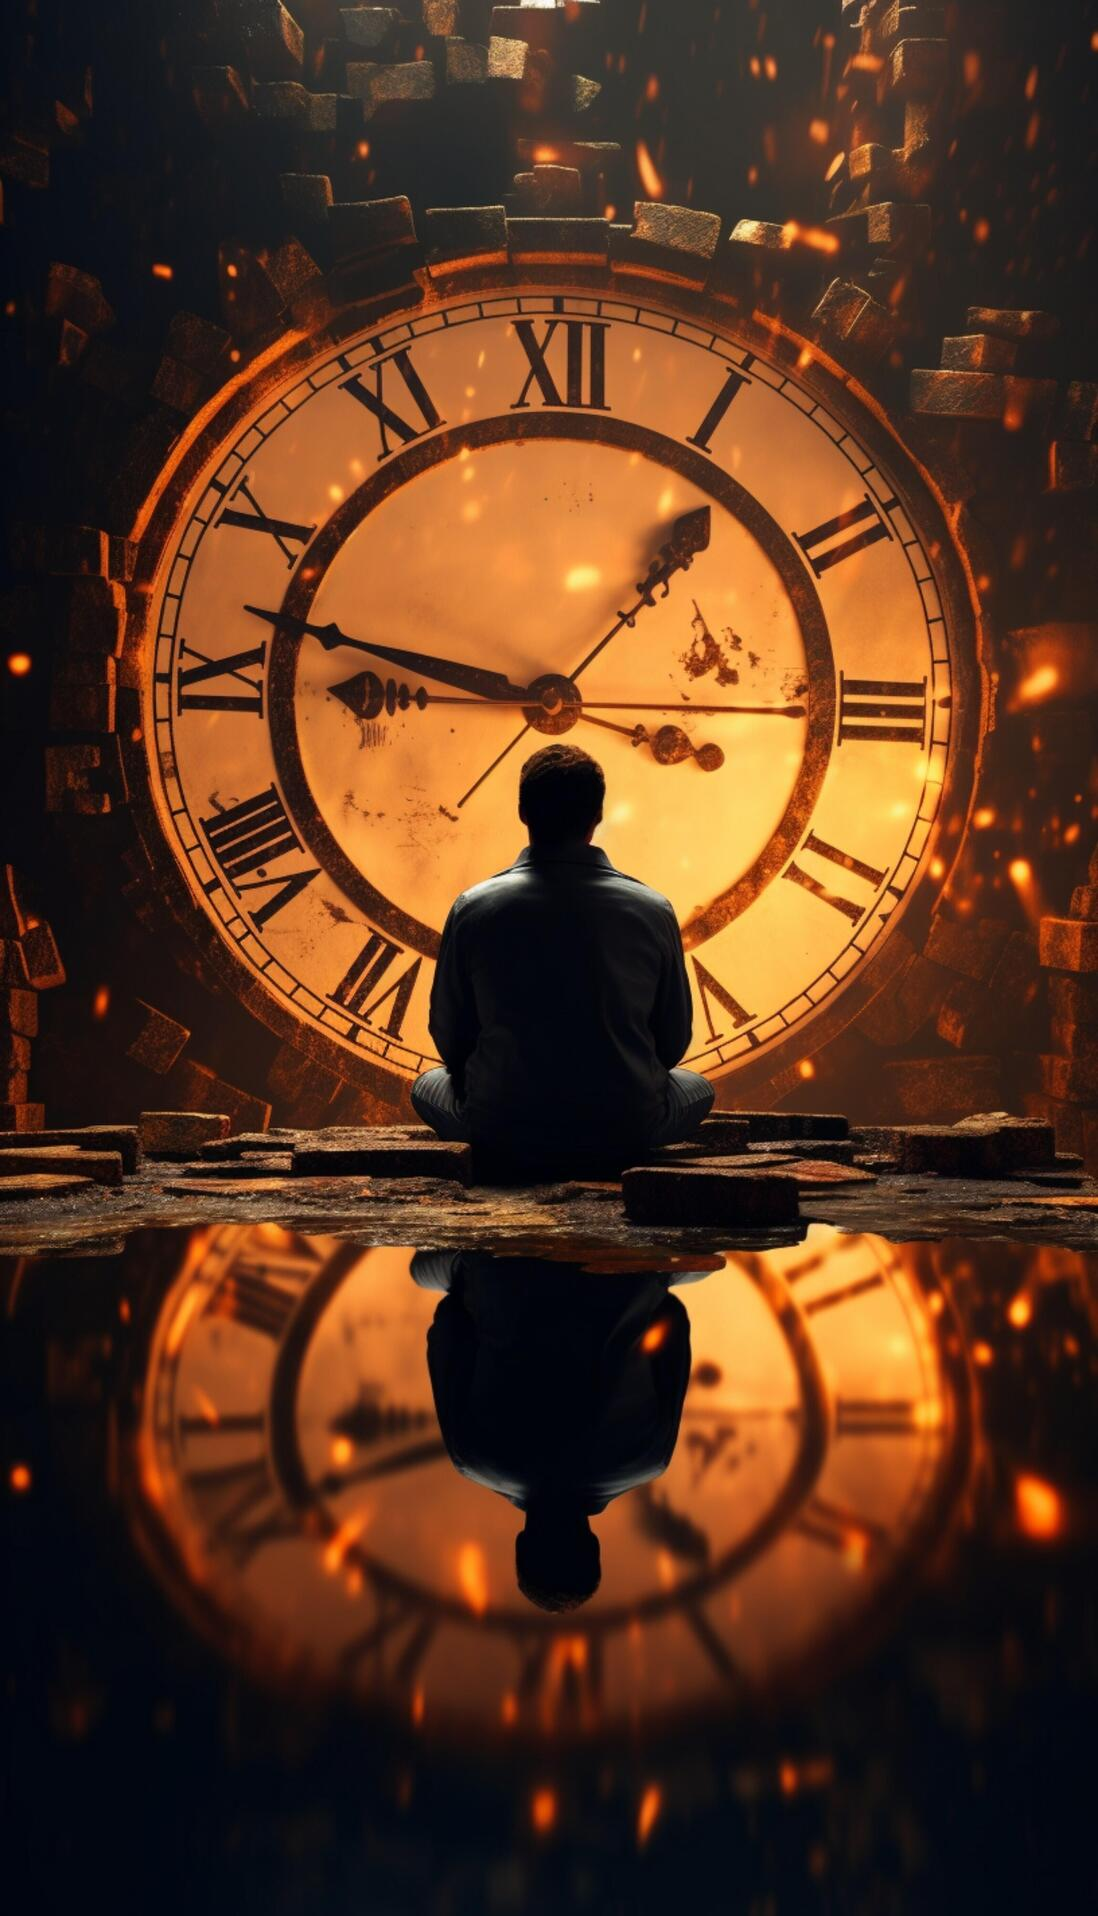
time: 1:46
